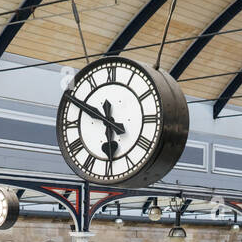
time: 5:49
